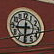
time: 8:31
